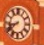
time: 8:38
